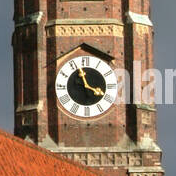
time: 3:57
